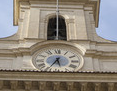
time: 5:34
